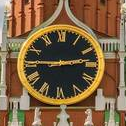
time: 2:45
